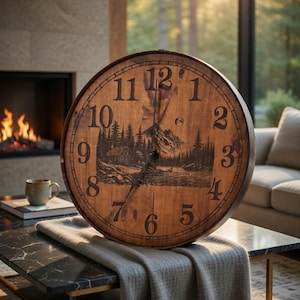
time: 7:00
